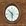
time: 5:51
